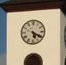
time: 5:19
